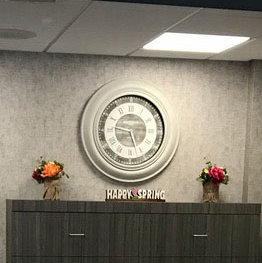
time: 9:26
